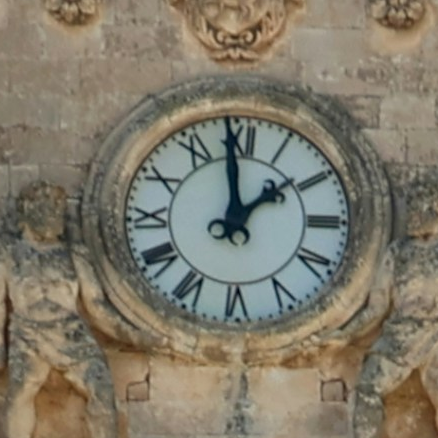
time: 1:59
